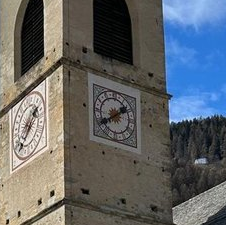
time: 1:39
